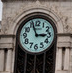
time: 2:56
